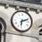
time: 6:11
